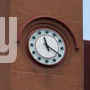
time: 11:19
